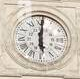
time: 6:00
